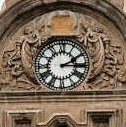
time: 2:15
